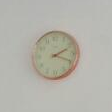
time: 2:18
